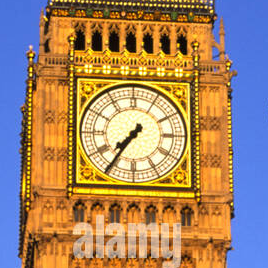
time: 7:35
